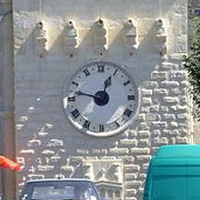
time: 12:47
